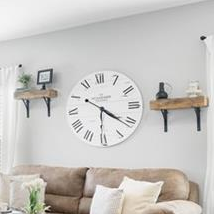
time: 6:21
